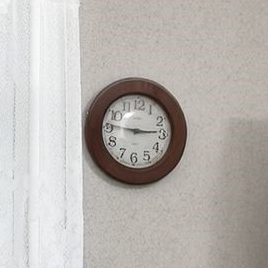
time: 2:46
